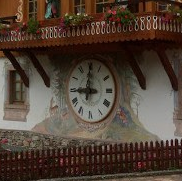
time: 9:00
